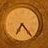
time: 7:23
